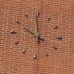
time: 9:59
